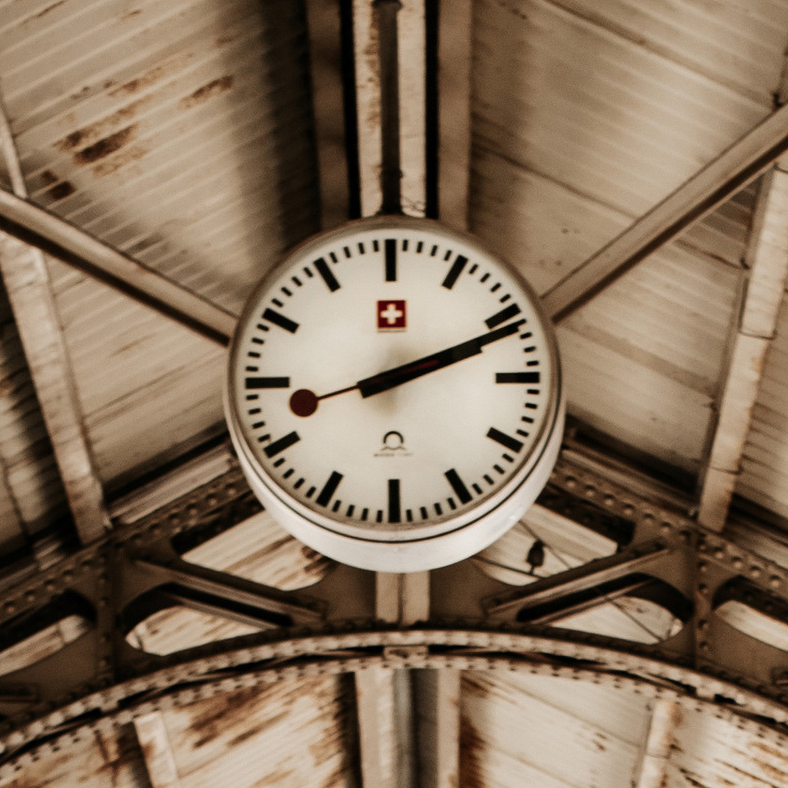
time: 2:11
